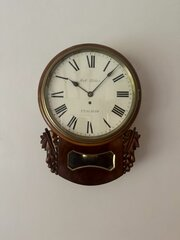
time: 10:07
